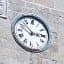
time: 2:52
